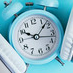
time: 10:07
